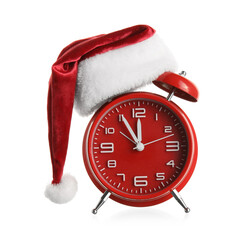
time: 11:55
